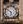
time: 5:51
